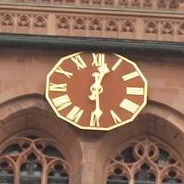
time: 12:29
